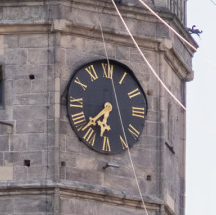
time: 6:37
